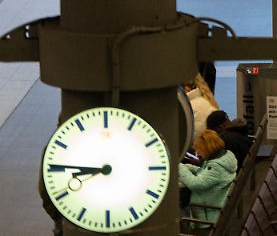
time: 8:45
